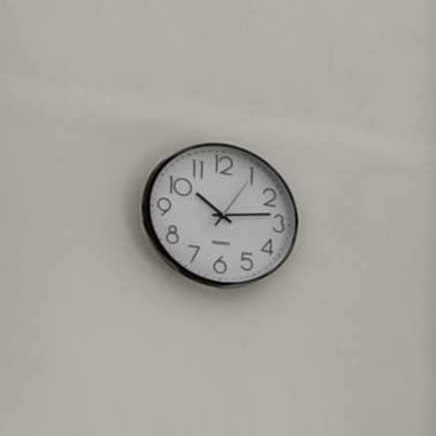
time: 10:13
